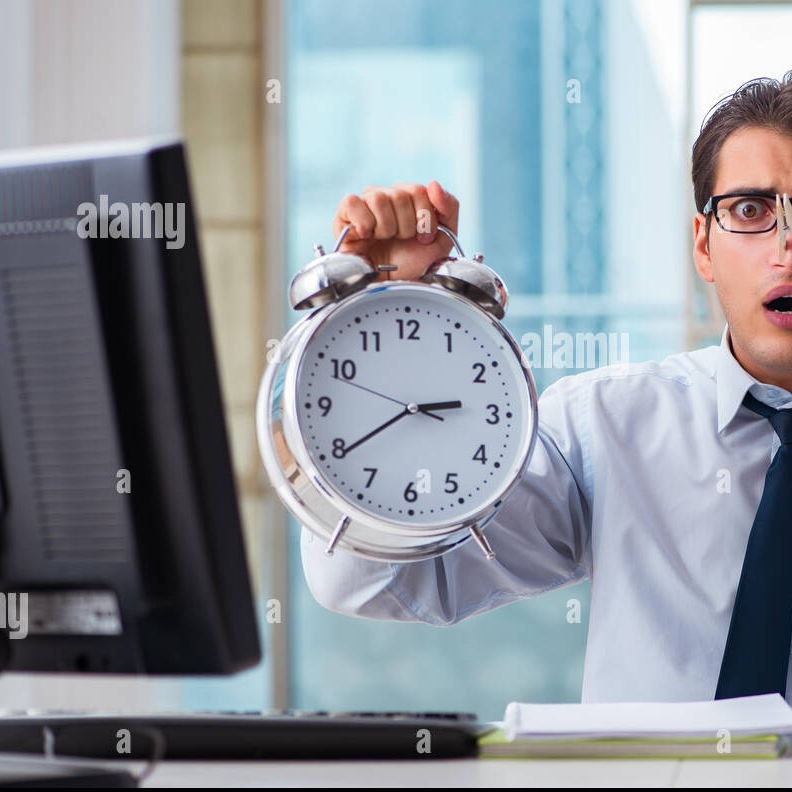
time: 2:39
